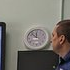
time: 11:52
